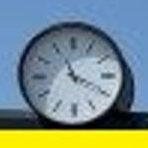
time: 11:19
